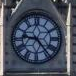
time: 9:23
